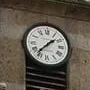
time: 1:37
